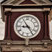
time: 8:54
